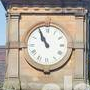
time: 10:55
